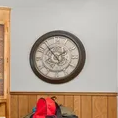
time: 1:53
